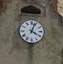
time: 4:03
